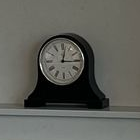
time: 12:14
